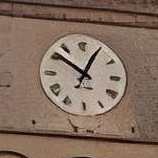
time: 12:51
